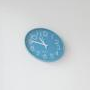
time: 10:47
